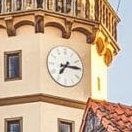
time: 7:14
